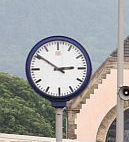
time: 2:50
